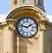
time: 1:47
